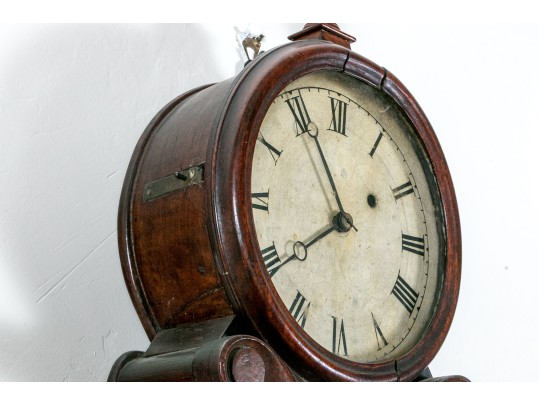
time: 7:55
